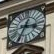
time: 3:34
